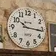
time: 10:16
